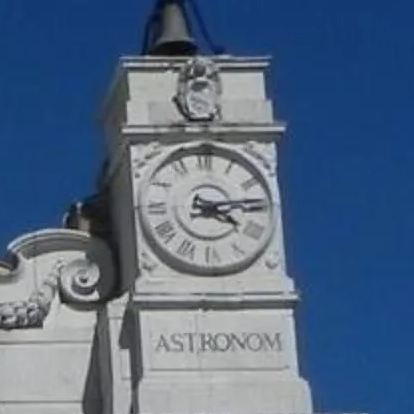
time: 4:13
